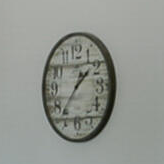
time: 1:36
